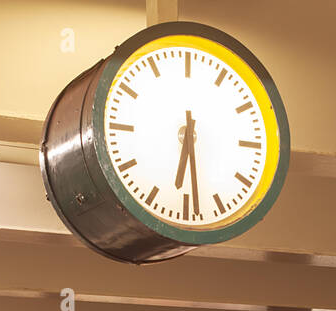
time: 6:28
